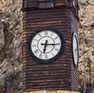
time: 6:15
